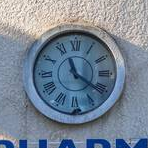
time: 11:21
